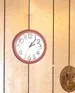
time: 2:06
